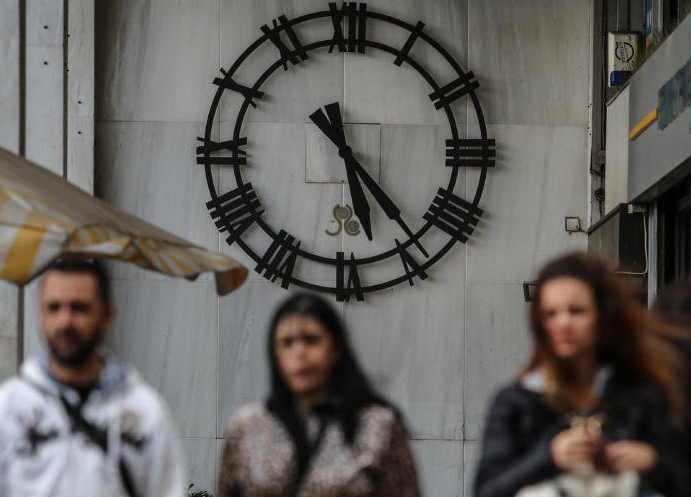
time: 5:23
